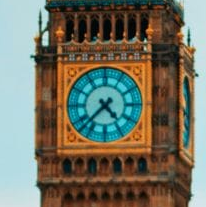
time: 4:37
